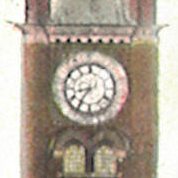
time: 8:35
